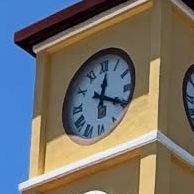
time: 12:19
